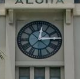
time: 12:14
